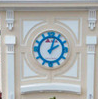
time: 2:02
